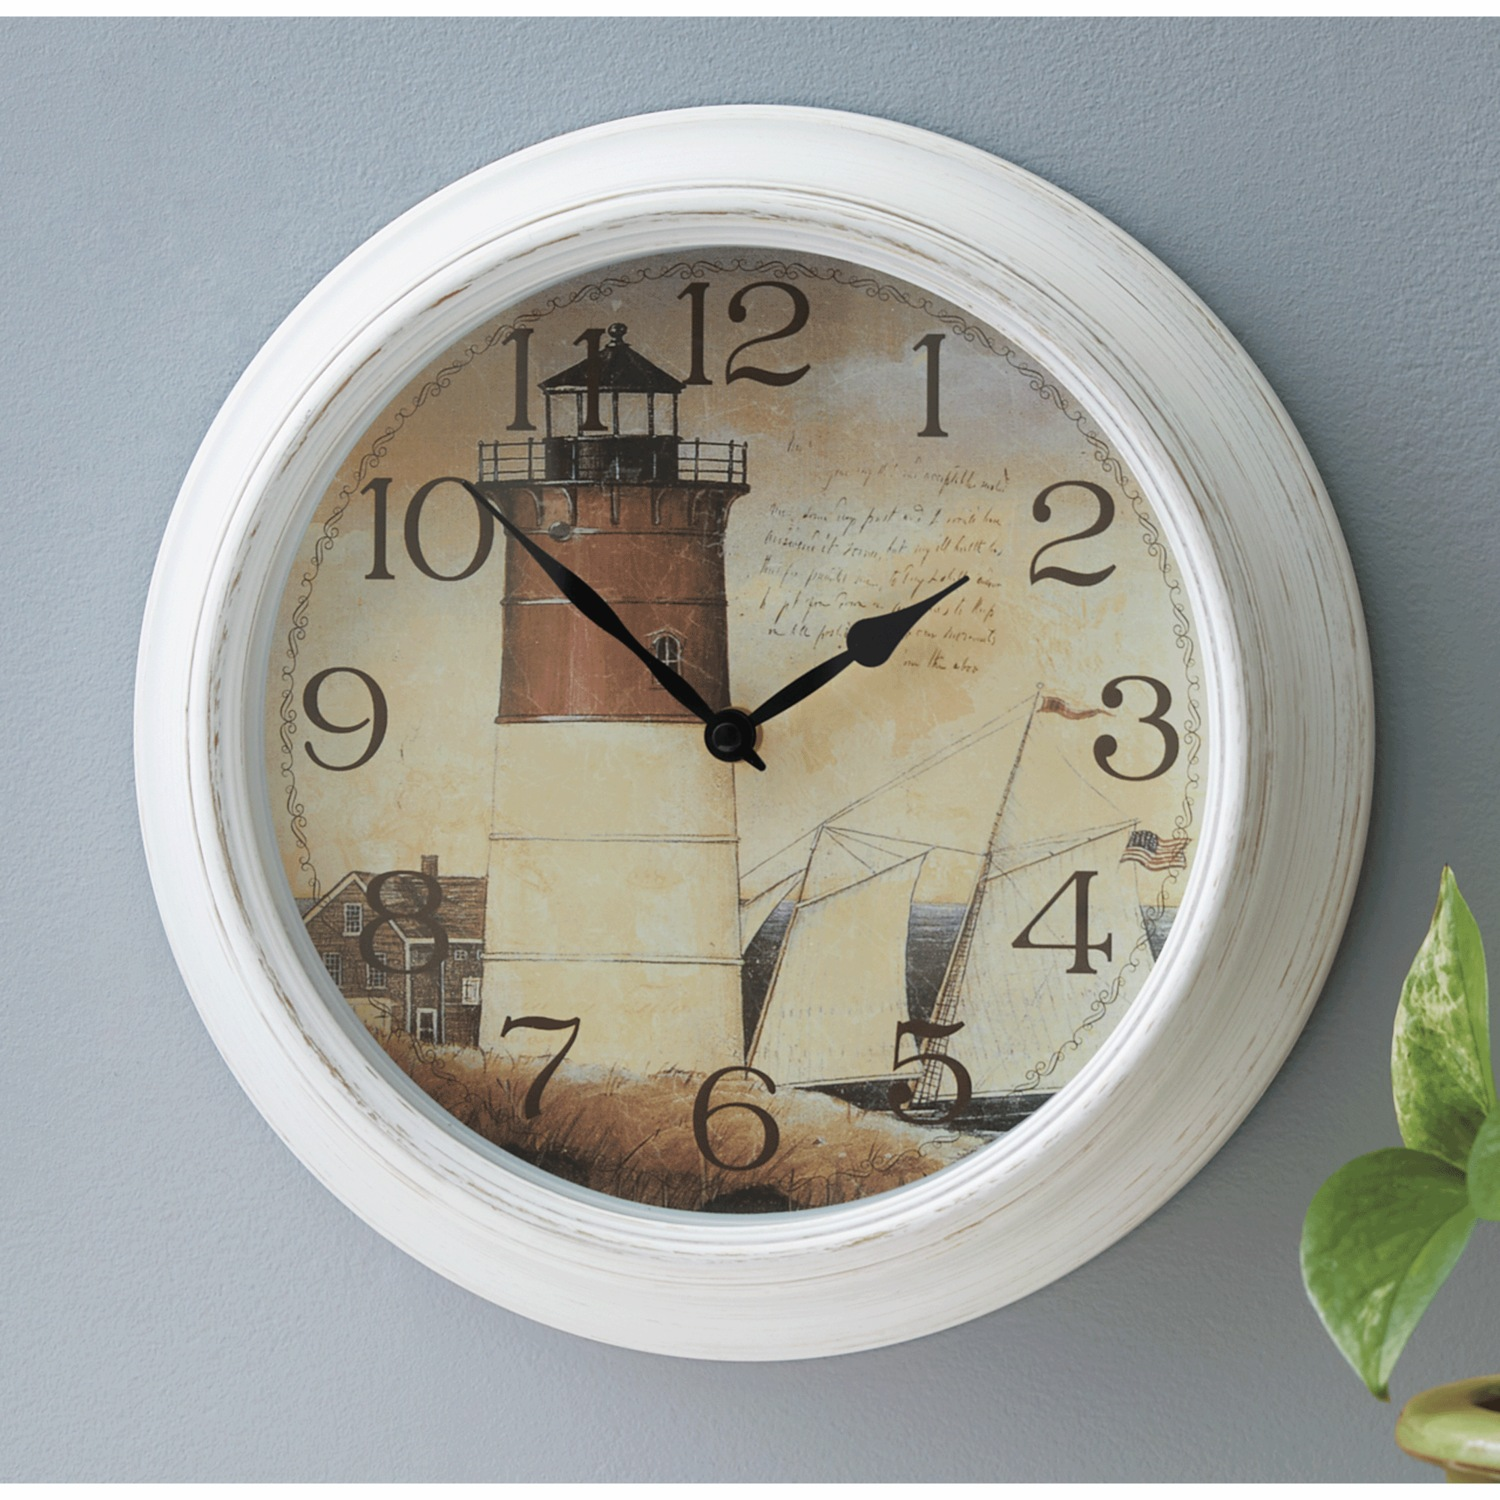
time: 1:51
